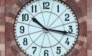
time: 10:16
